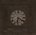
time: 6:21
